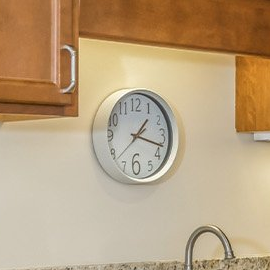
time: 1:17
